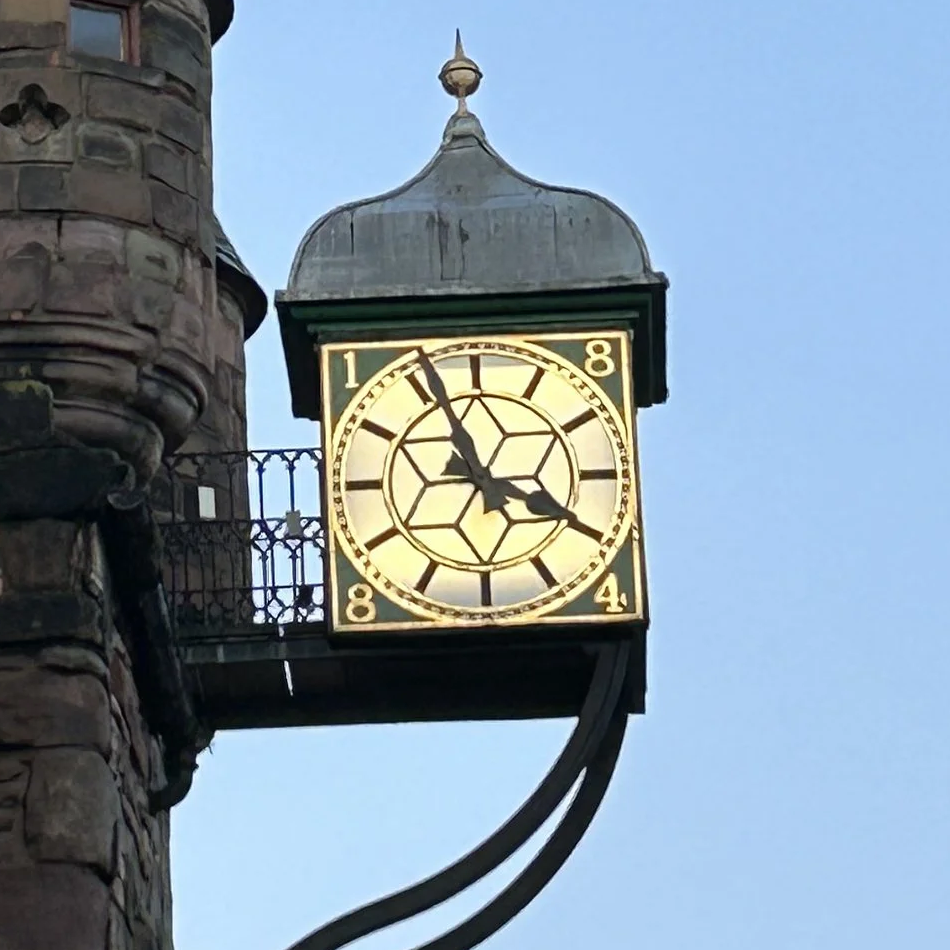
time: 3:56
